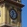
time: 11:35
